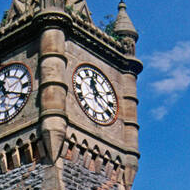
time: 11:21
